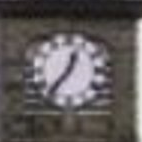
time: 12:36
